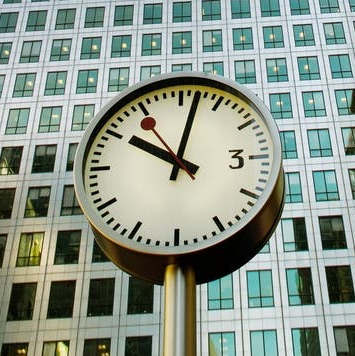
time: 10:02
